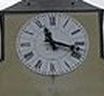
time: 11:17
